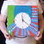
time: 11:21
